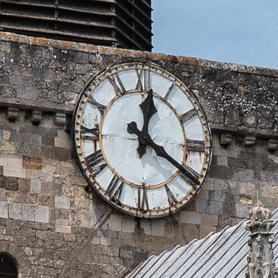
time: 12:20
